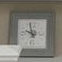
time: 9:57
